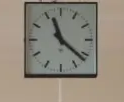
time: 11:21
